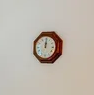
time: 12:00
